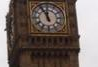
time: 11:55
